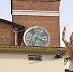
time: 3:34
